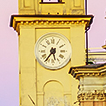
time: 5:36
